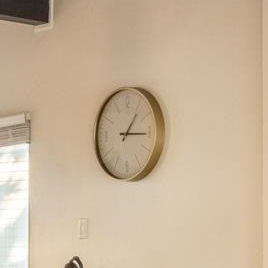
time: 1:15
